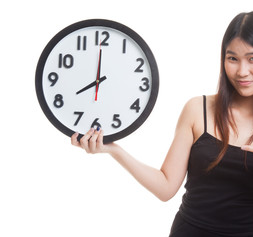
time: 7:59
